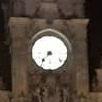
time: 7:36
